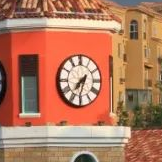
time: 7:31
